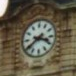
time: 3:39
